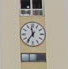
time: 11:36
